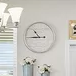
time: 10:45
